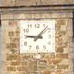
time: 9:07
